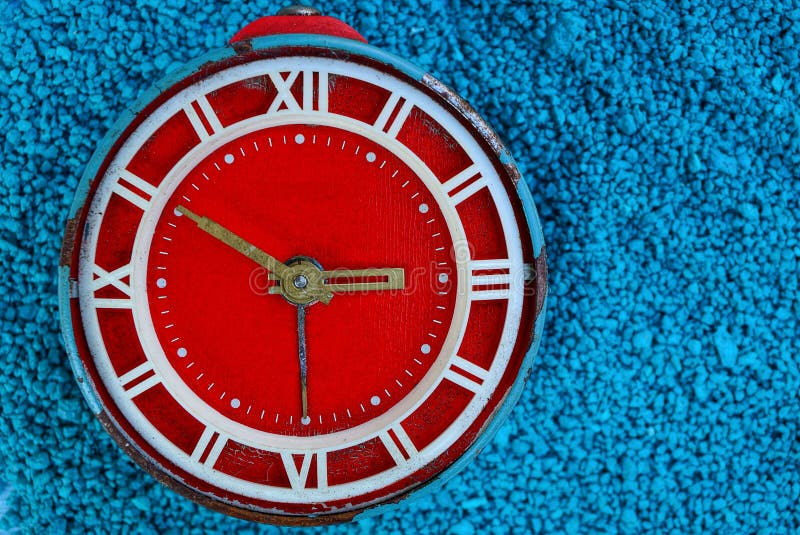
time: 2:50
